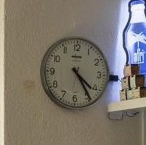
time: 4:24
